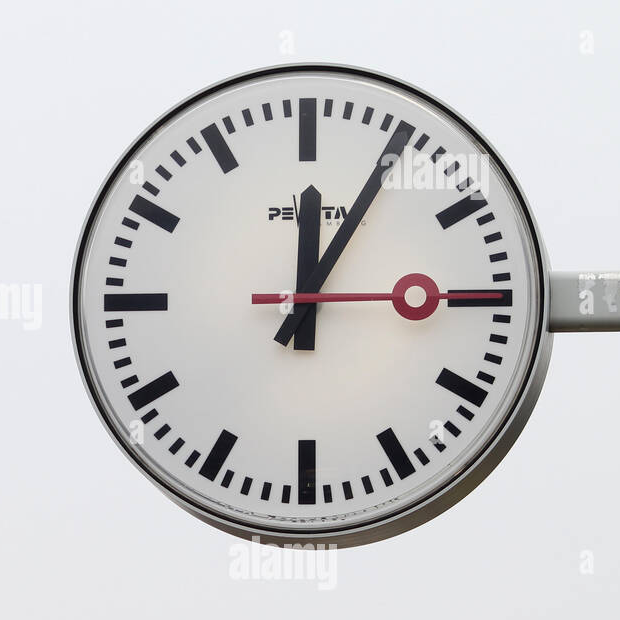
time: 12:04
